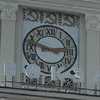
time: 2:48
